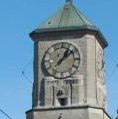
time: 1:08
